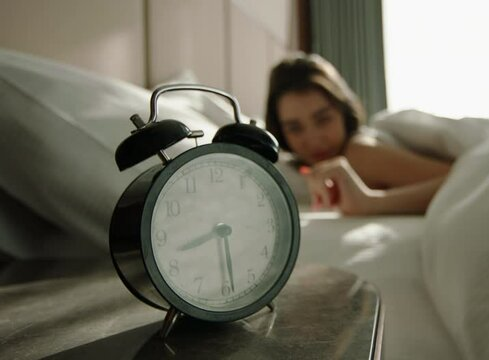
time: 8:29
